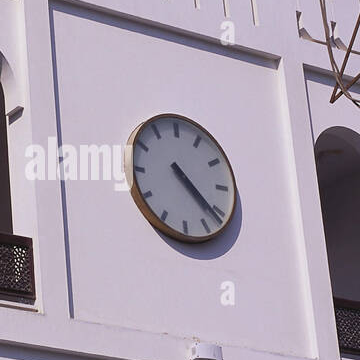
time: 4:21
